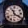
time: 11:20
